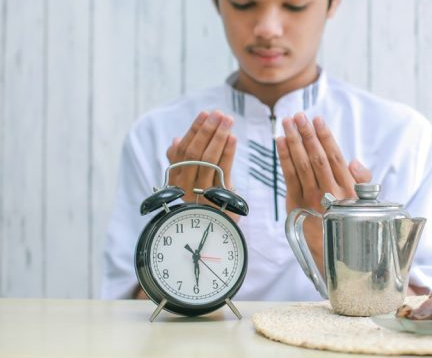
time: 6:04
